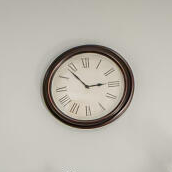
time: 2:53
